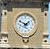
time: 1:49
